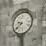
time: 9:38
